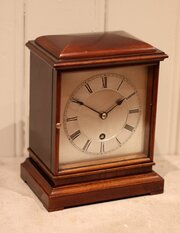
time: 1:50
